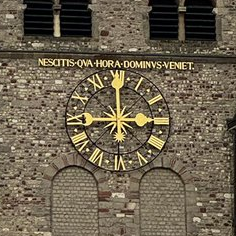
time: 11:59
